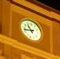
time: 10:42
